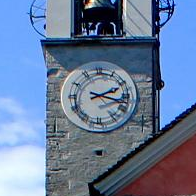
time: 2:18
